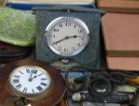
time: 2:40
